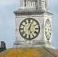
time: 5:03
